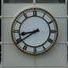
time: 8:39
